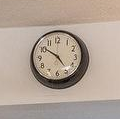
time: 4:50
